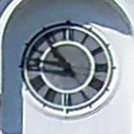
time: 10:46
